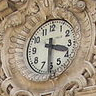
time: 3:30
